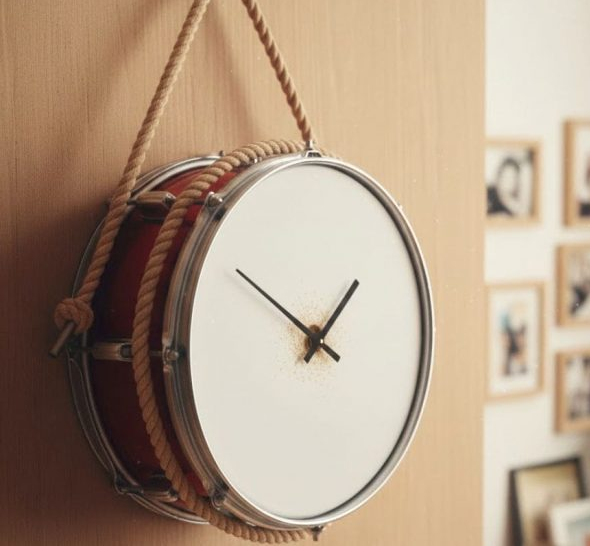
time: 1:50
